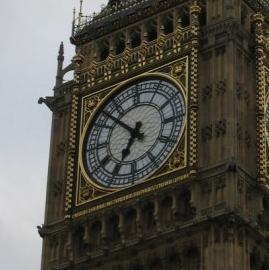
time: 6:52
